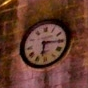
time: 6:15
